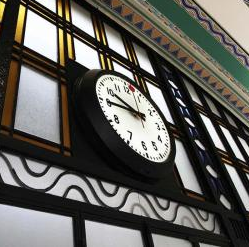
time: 9:44
